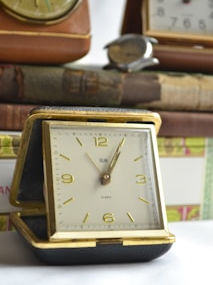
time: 1:05
